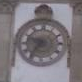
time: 9:36
